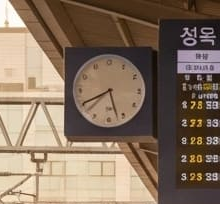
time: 5:40
